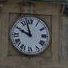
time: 9:57
